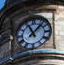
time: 11:07
